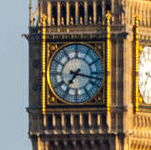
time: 7:17
